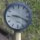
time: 9:18
